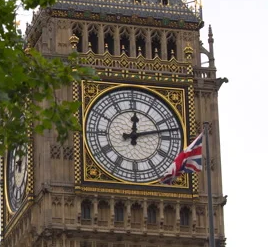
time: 12:12
